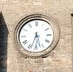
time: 5:33
